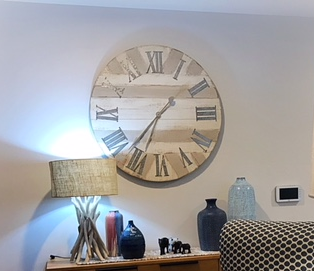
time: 1:36
